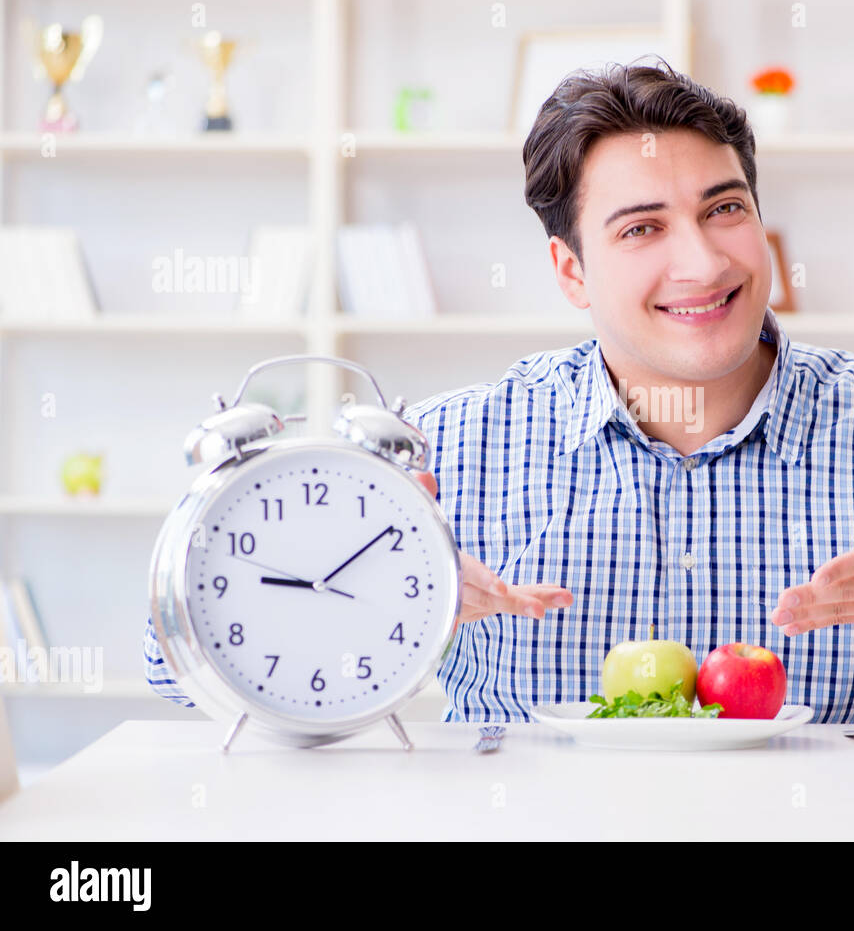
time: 9:09
